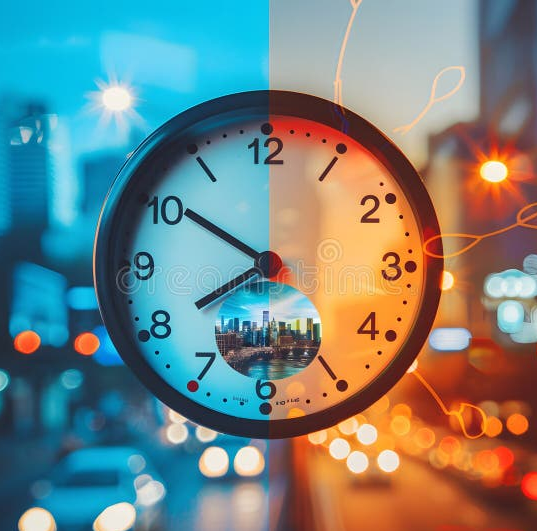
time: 7:50
